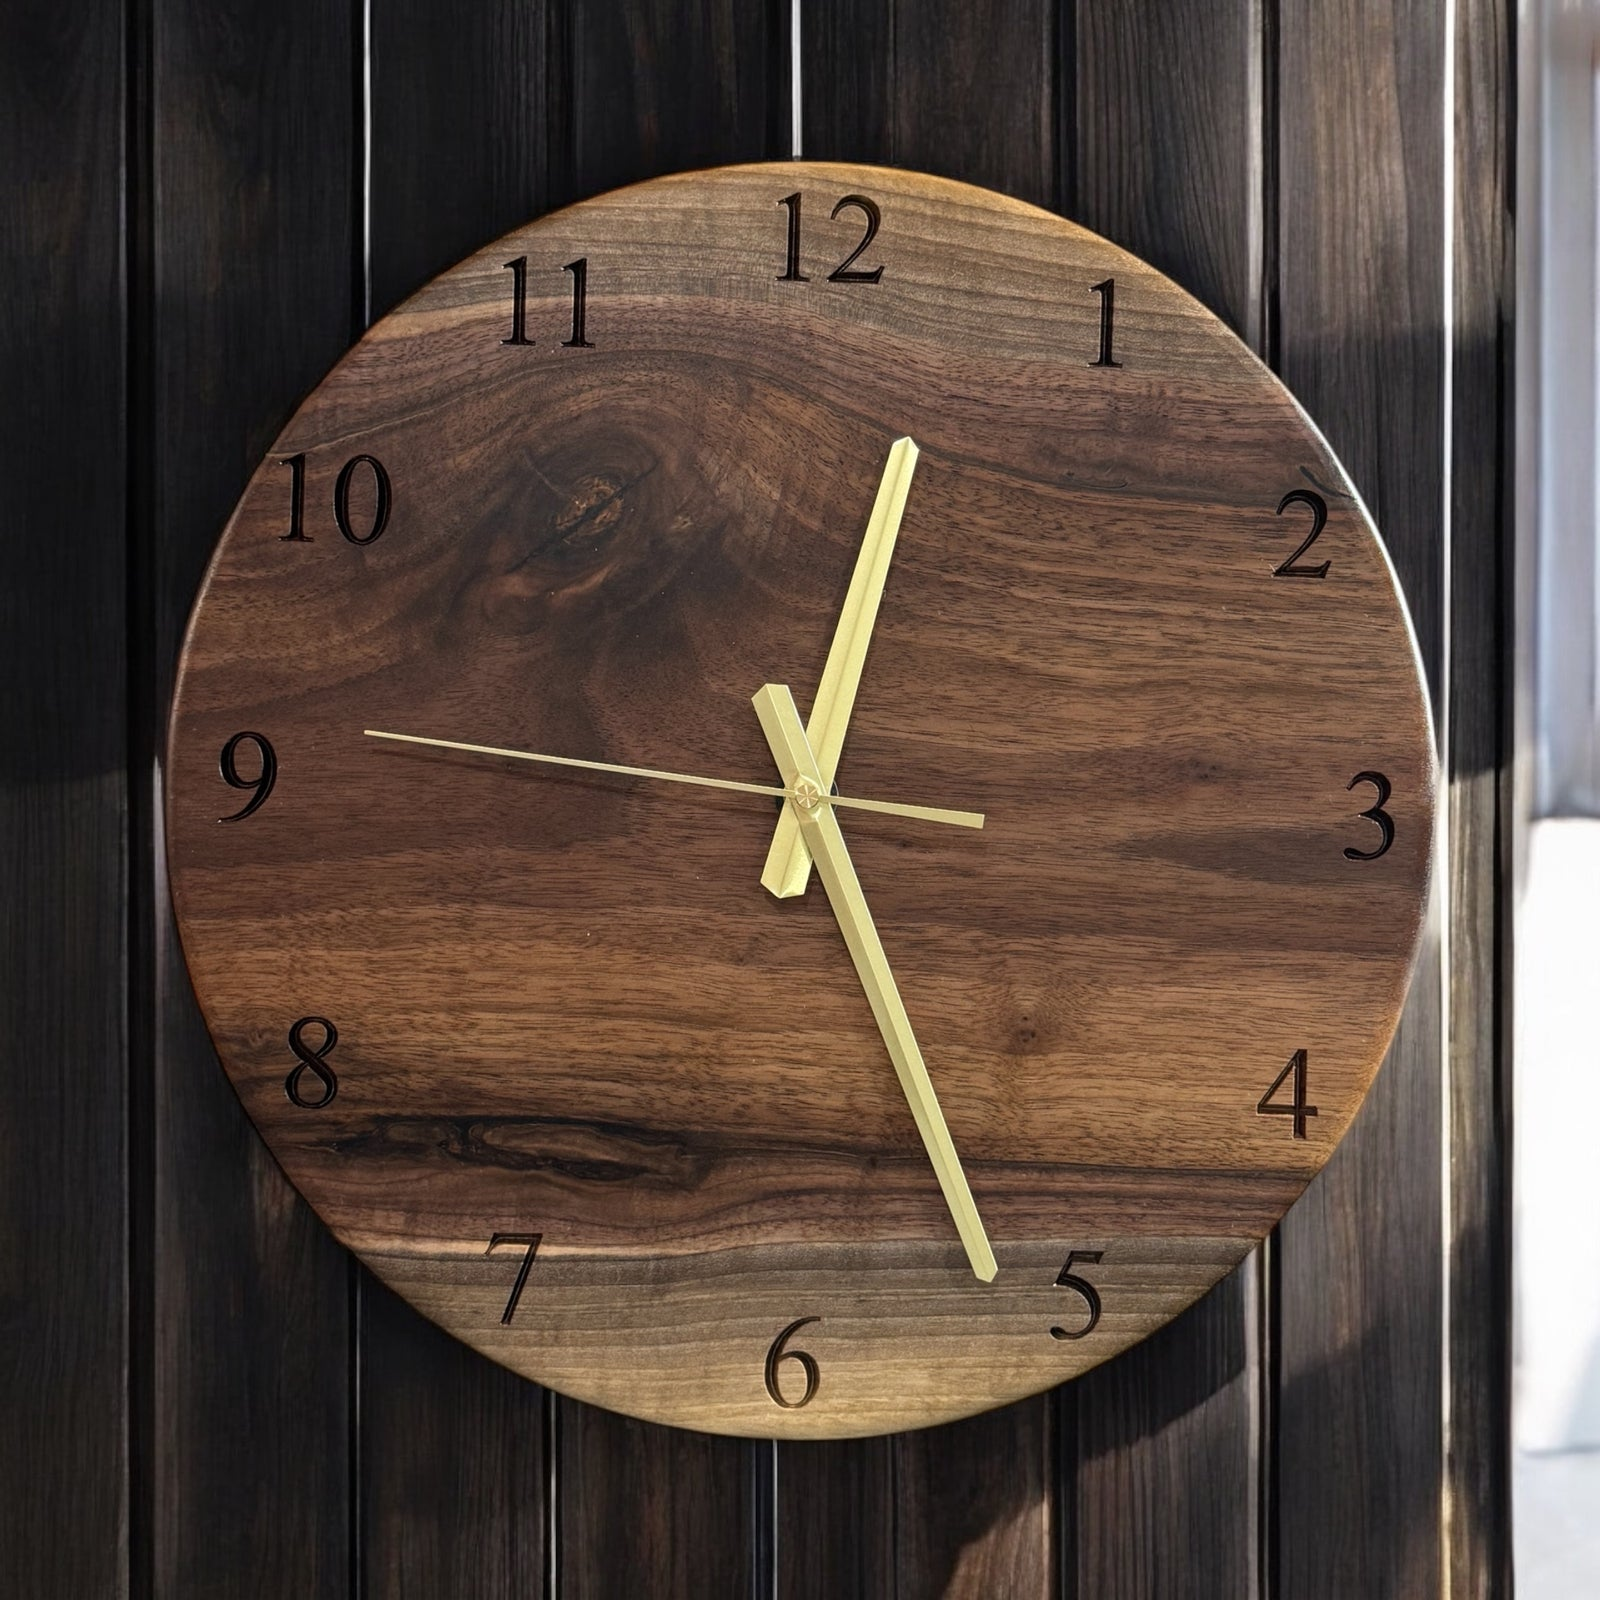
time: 12:26
